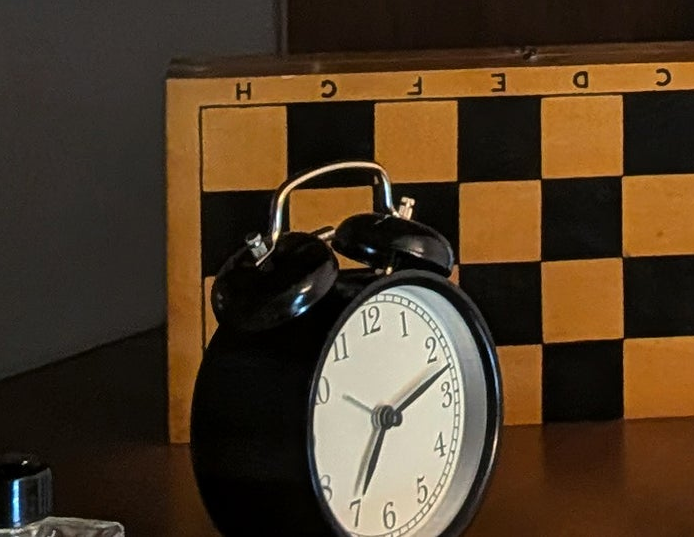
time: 7:12
